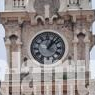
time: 1:07
